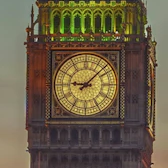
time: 9:07
